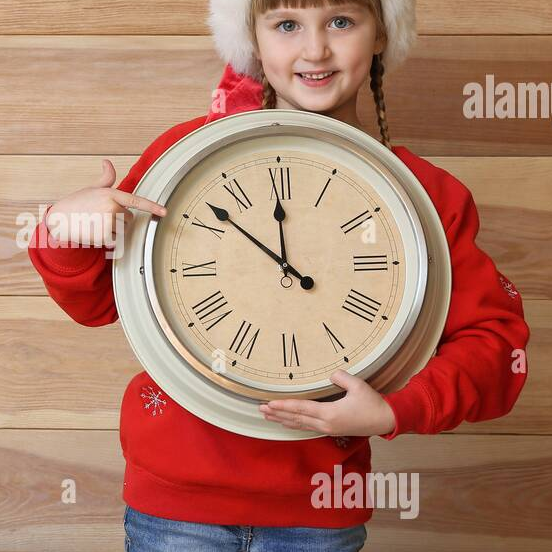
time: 11:51
